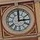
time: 3:00
